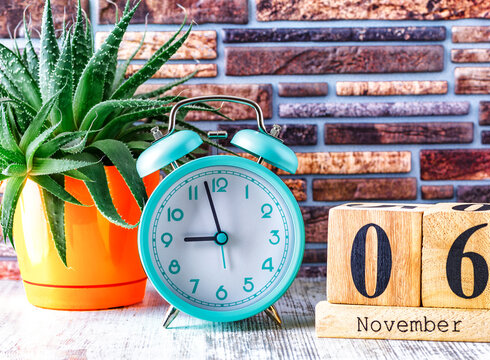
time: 8:57
